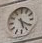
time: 5:20
